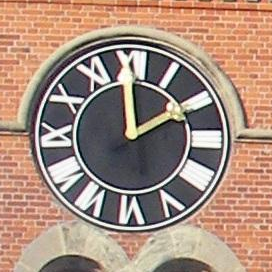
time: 1:59
